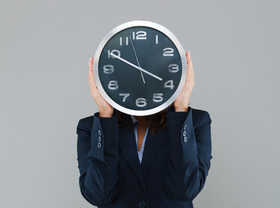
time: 3:49
